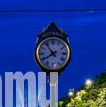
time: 7:53
